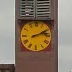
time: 2:12
